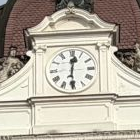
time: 12:30
